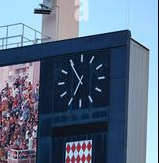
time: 6:54
